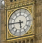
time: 5:45
